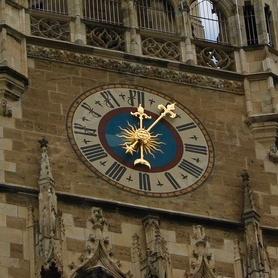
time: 12:05
